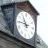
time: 10:45
